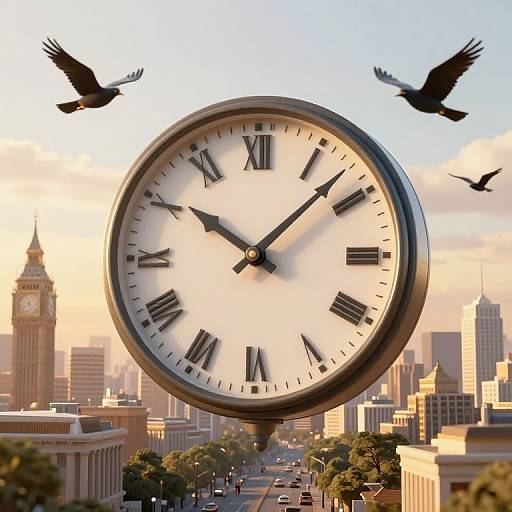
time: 10:07
